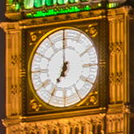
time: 7:00
